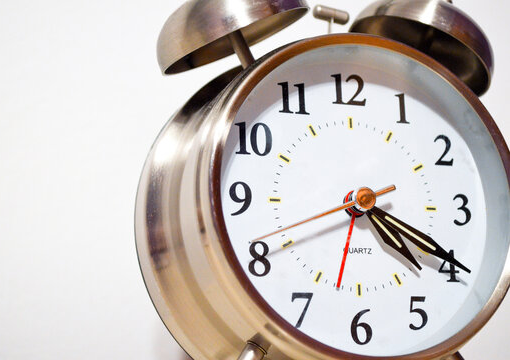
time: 4:19
